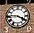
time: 3:45
